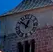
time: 12:52
